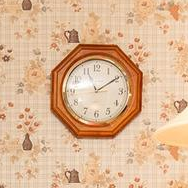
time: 11:09
